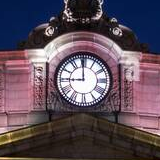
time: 8:59
